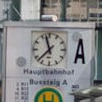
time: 11:37
